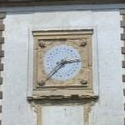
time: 2:38
